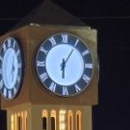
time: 6:05
